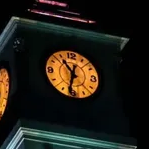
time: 10:32
